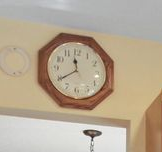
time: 11:39
